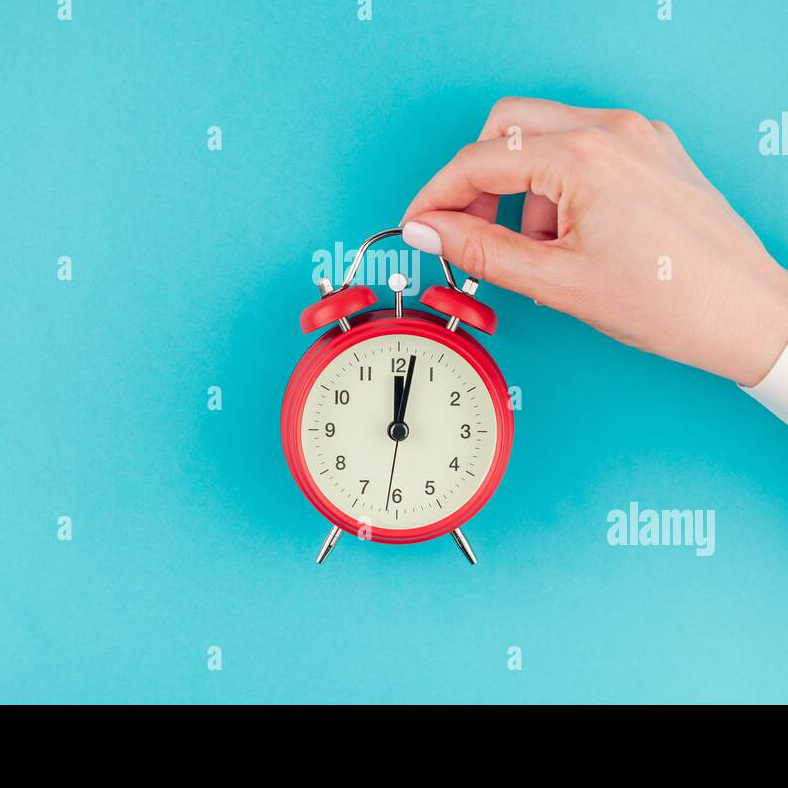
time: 12:01
